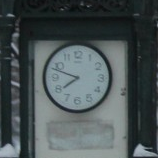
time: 7:48
